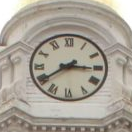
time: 2:39
